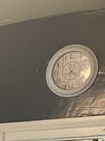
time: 4:33
